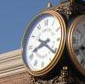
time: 8:21
